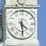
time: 4:29
